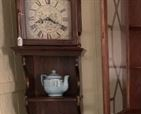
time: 8:19
